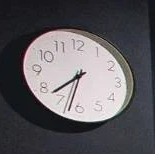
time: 7:32
